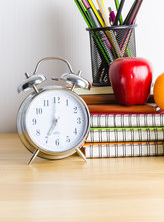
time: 7:00
